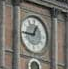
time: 12:44
